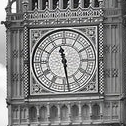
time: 11:28
